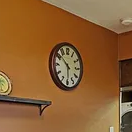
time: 5:51
